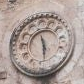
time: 11:28
